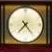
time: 7:24
